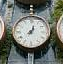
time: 7:34
